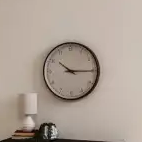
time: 10:15
